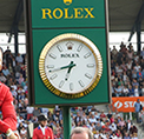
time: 6:42
